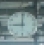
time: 9:00
